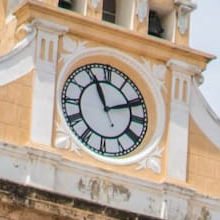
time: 11:10
